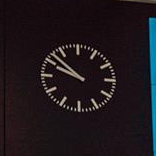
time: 9:52
